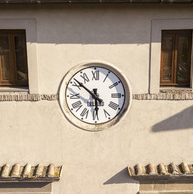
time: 5:51
